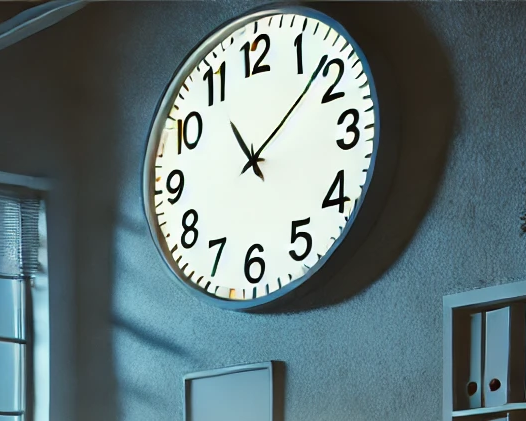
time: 11:08
